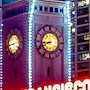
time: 8:43
